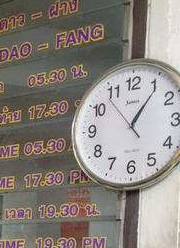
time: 1:05
